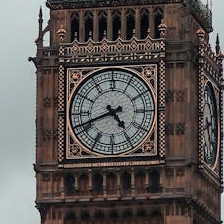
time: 4:41
